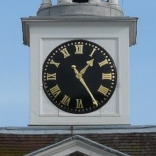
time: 1:24
